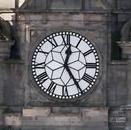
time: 12:24
